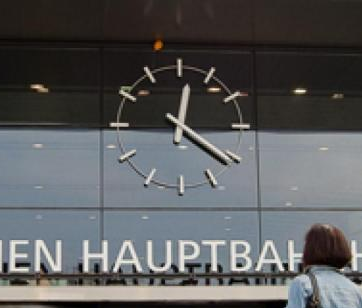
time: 12:21
